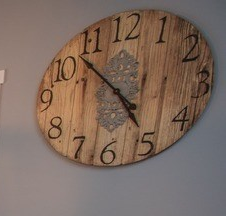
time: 4:52
